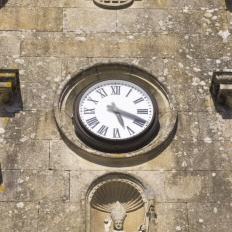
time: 5:18
